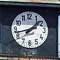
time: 1:42
